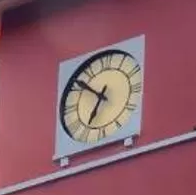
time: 6:51
